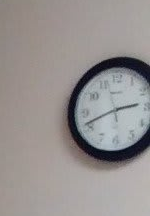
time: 2:41
